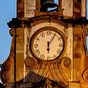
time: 6:05
